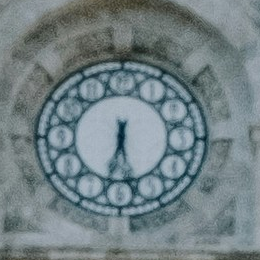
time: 5:32
